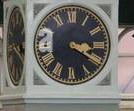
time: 3:20
